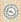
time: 9:22
